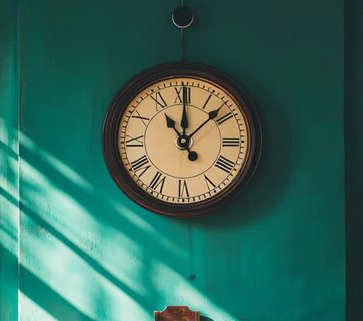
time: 11:07
